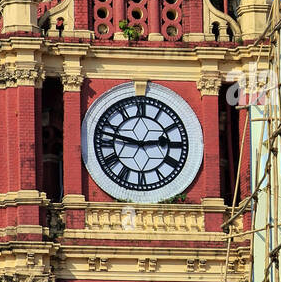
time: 2:46
